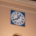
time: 8:06
